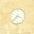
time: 3:37
